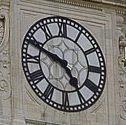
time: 4:48
